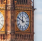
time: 11:49
